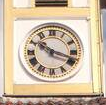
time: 10:18
